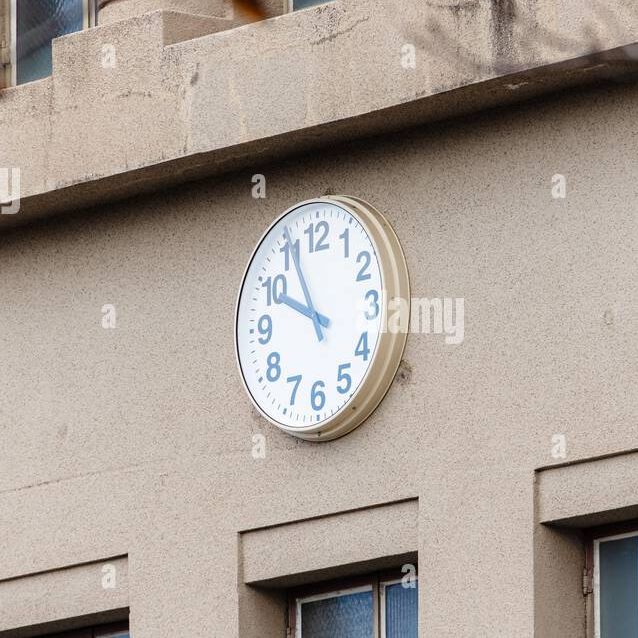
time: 9:55
